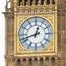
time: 12:42
